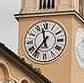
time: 11:36
